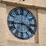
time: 3:43
